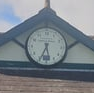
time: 5:34
